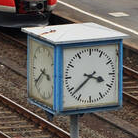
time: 3:38
